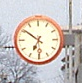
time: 6:50
